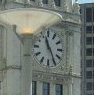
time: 11:25
